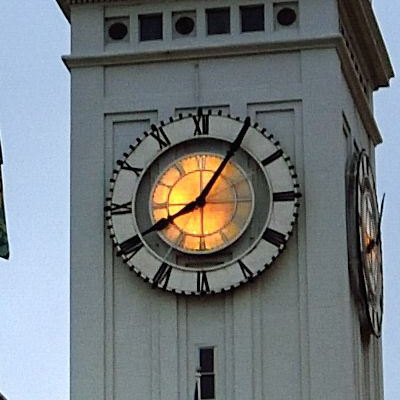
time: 8:05
